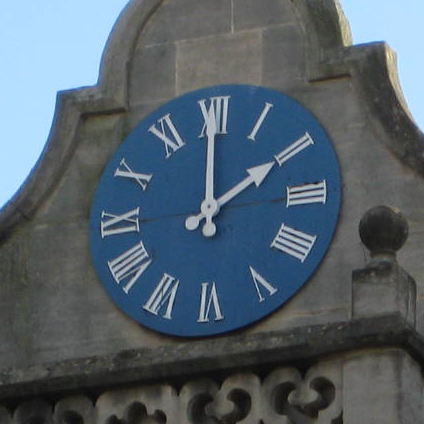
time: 2:00
